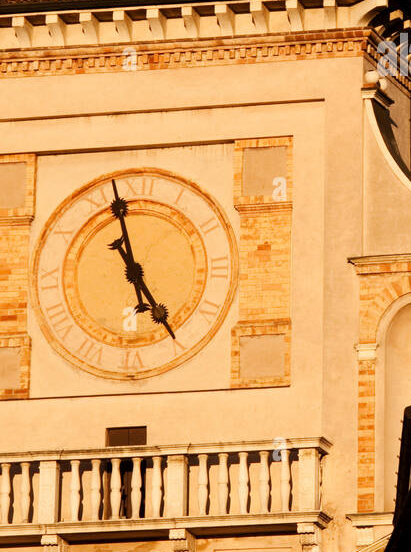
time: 4:57
